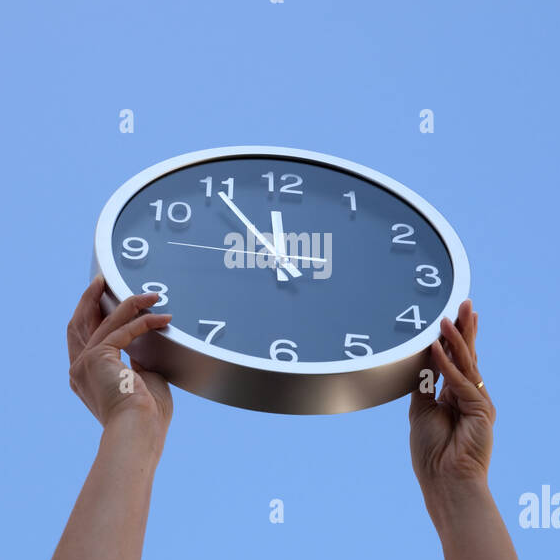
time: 11:54
